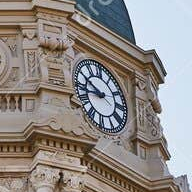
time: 9:42
